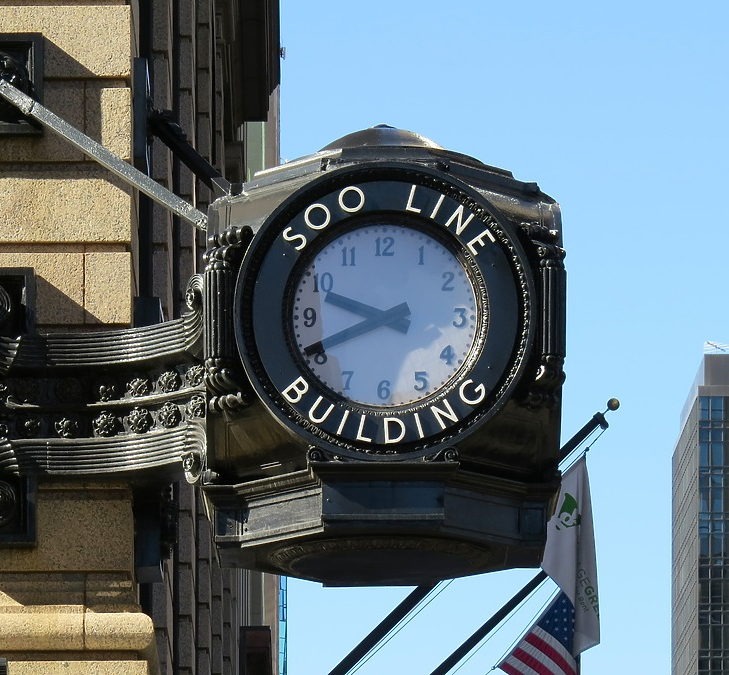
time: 9:41
